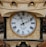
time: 11:10
